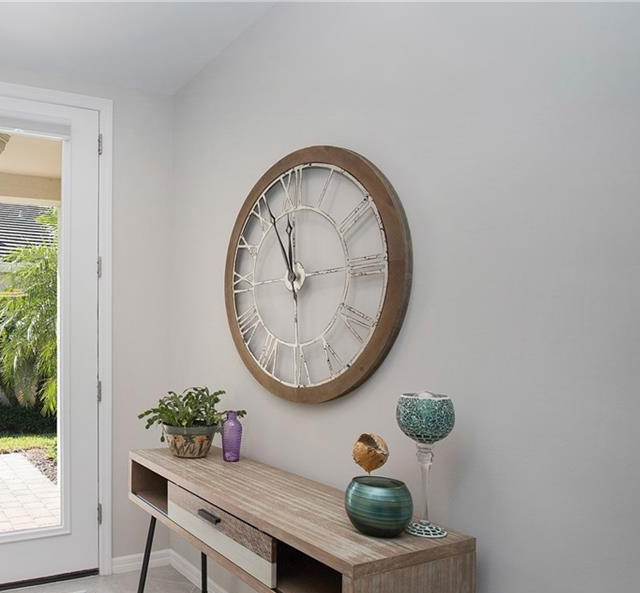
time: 11:56
